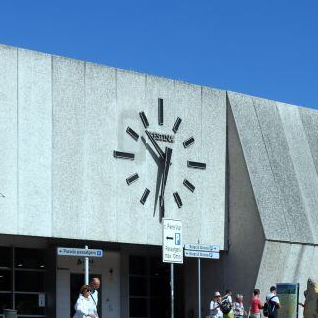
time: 10:32
